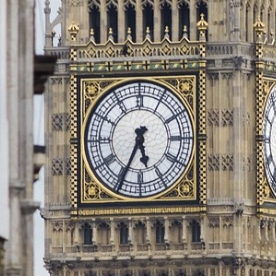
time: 5:34
